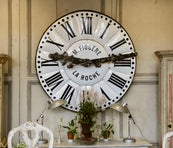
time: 9:13
